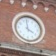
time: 3:58
